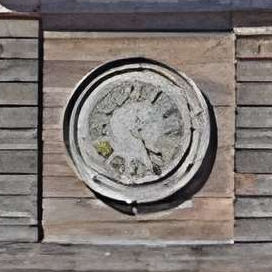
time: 4:25
